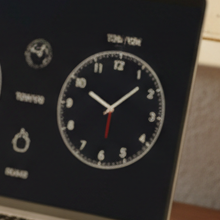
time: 10:07
